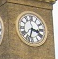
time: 3:32
